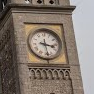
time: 3:28
